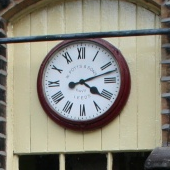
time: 4:12
